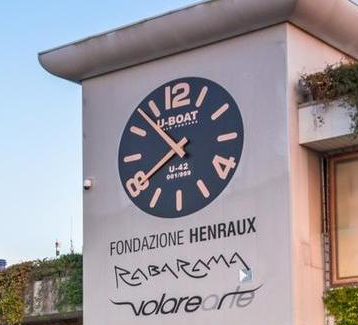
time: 7:53
